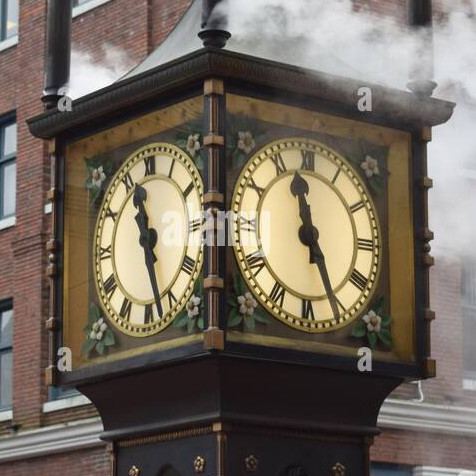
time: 11:25
